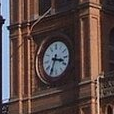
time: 3:34
